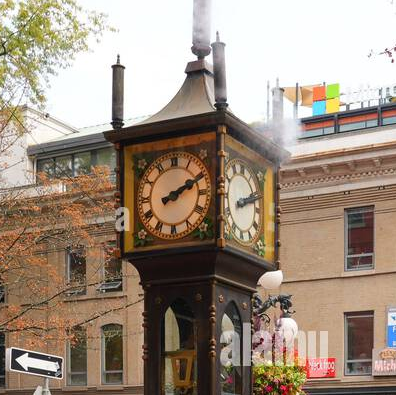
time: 2:11
